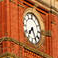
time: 7:25
